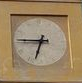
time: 6:45
